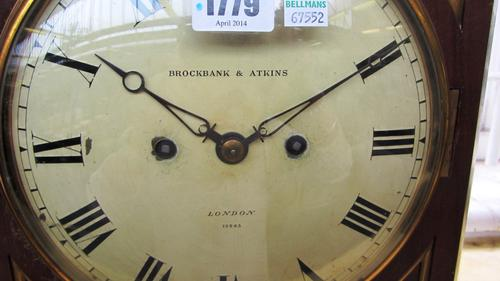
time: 10:09
